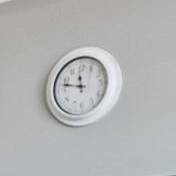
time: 11:47
